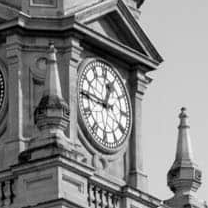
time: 12:45
